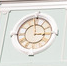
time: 2:58
